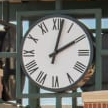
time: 2:02
